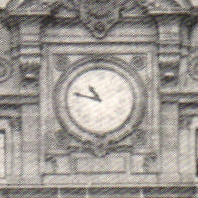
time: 10:47
